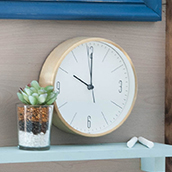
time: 10:00
